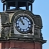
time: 10:52
